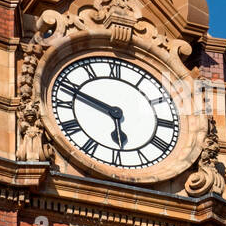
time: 5:48
